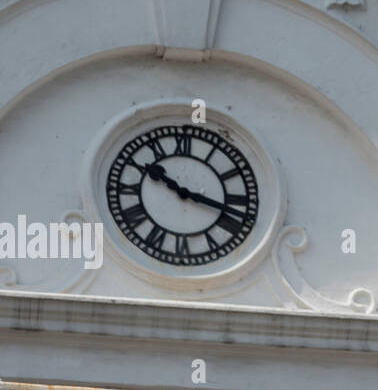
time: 10:17
